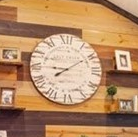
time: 9:09
